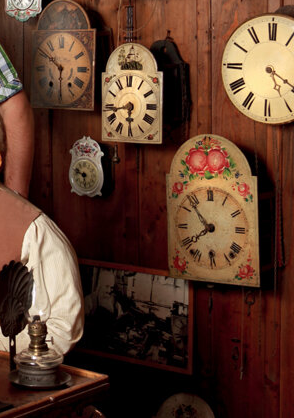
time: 7:52
